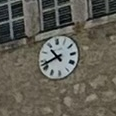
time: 10:42
